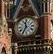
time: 11:35
